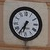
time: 6:36
